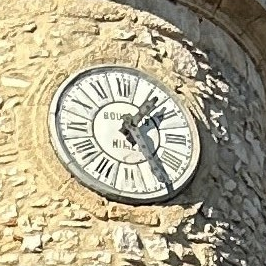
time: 1:24
